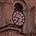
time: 6:47
